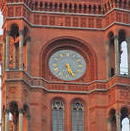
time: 5:26
